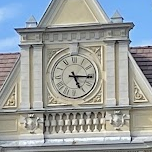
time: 5:15
